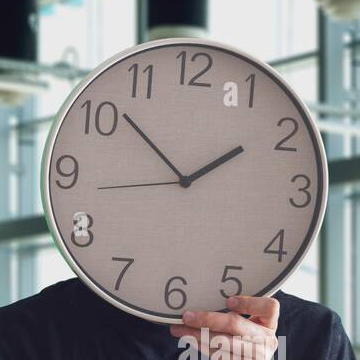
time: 1:51
